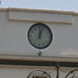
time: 12:03
